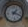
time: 1:18
